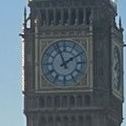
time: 1:56
